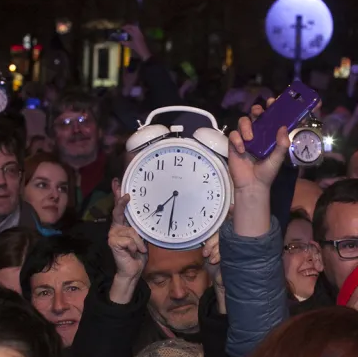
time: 7:31
